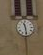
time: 11:28
